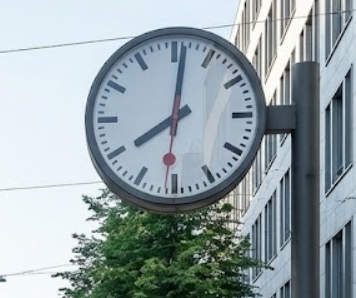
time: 8:01
